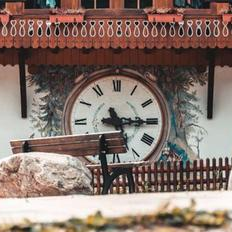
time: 5:15
